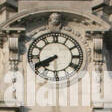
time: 7:40
